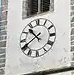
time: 10:39
